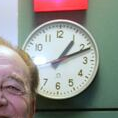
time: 1:11
